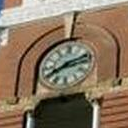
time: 8:12
